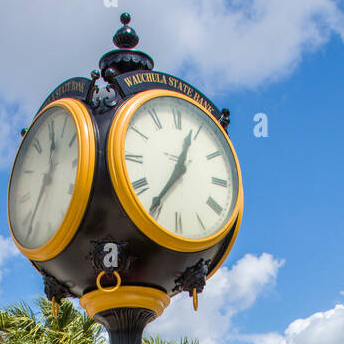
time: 12:35
